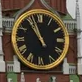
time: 10:56
